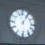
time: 1:05
